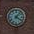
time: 4:06
